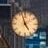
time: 4:57
